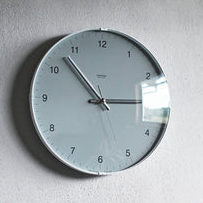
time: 2:52
